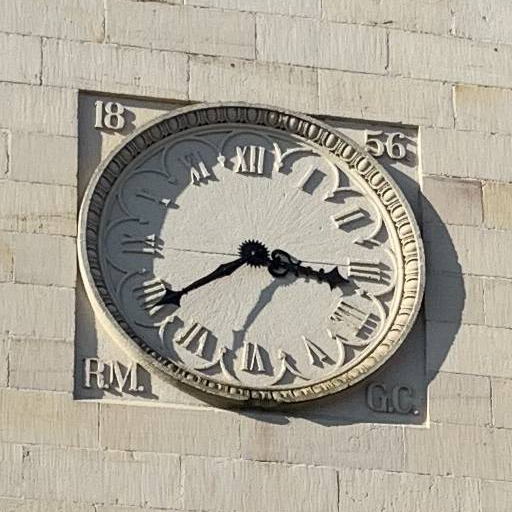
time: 3:39
